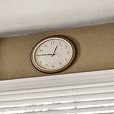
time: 12:45
